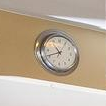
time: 10:41
